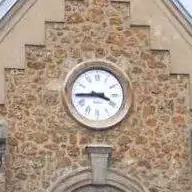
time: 3:44
